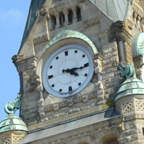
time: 4:16
